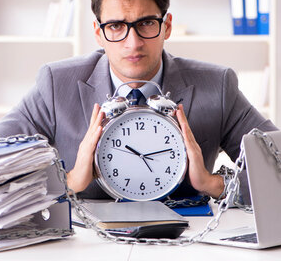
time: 10:13
